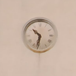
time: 10:32
